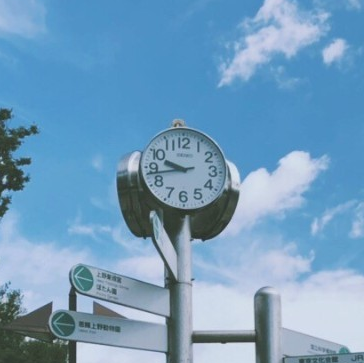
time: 9:43
